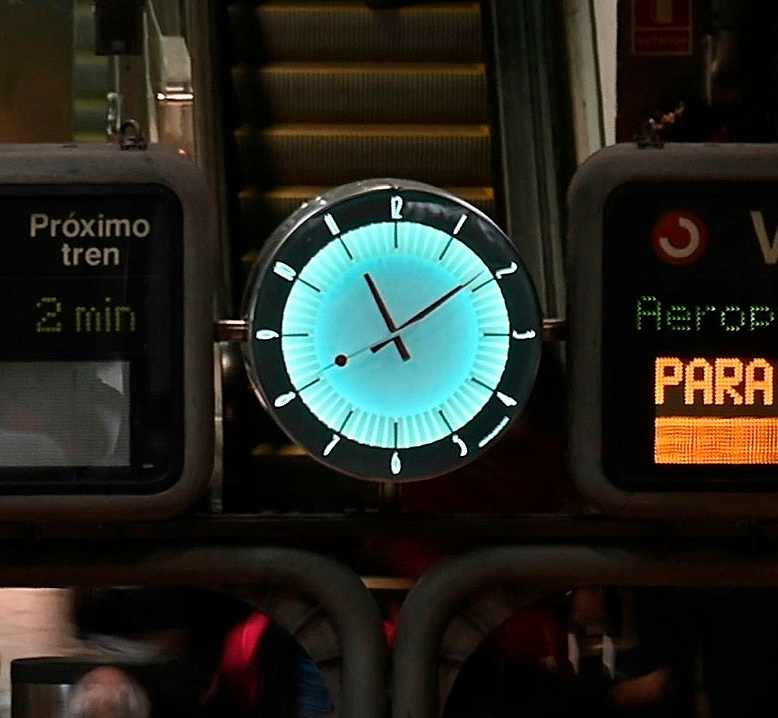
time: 11:09
